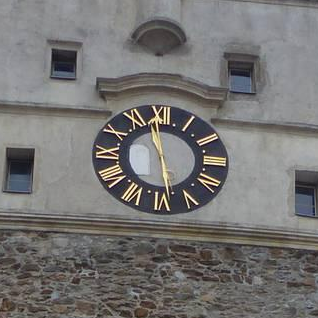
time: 11:28
